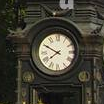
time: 7:49
